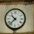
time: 10:37
